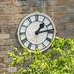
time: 1:13
